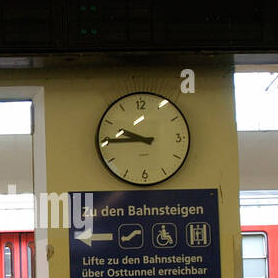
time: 9:45
